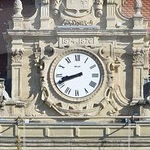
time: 8:41
